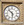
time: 10:30
